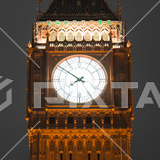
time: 7:50
